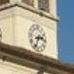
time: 2:33
